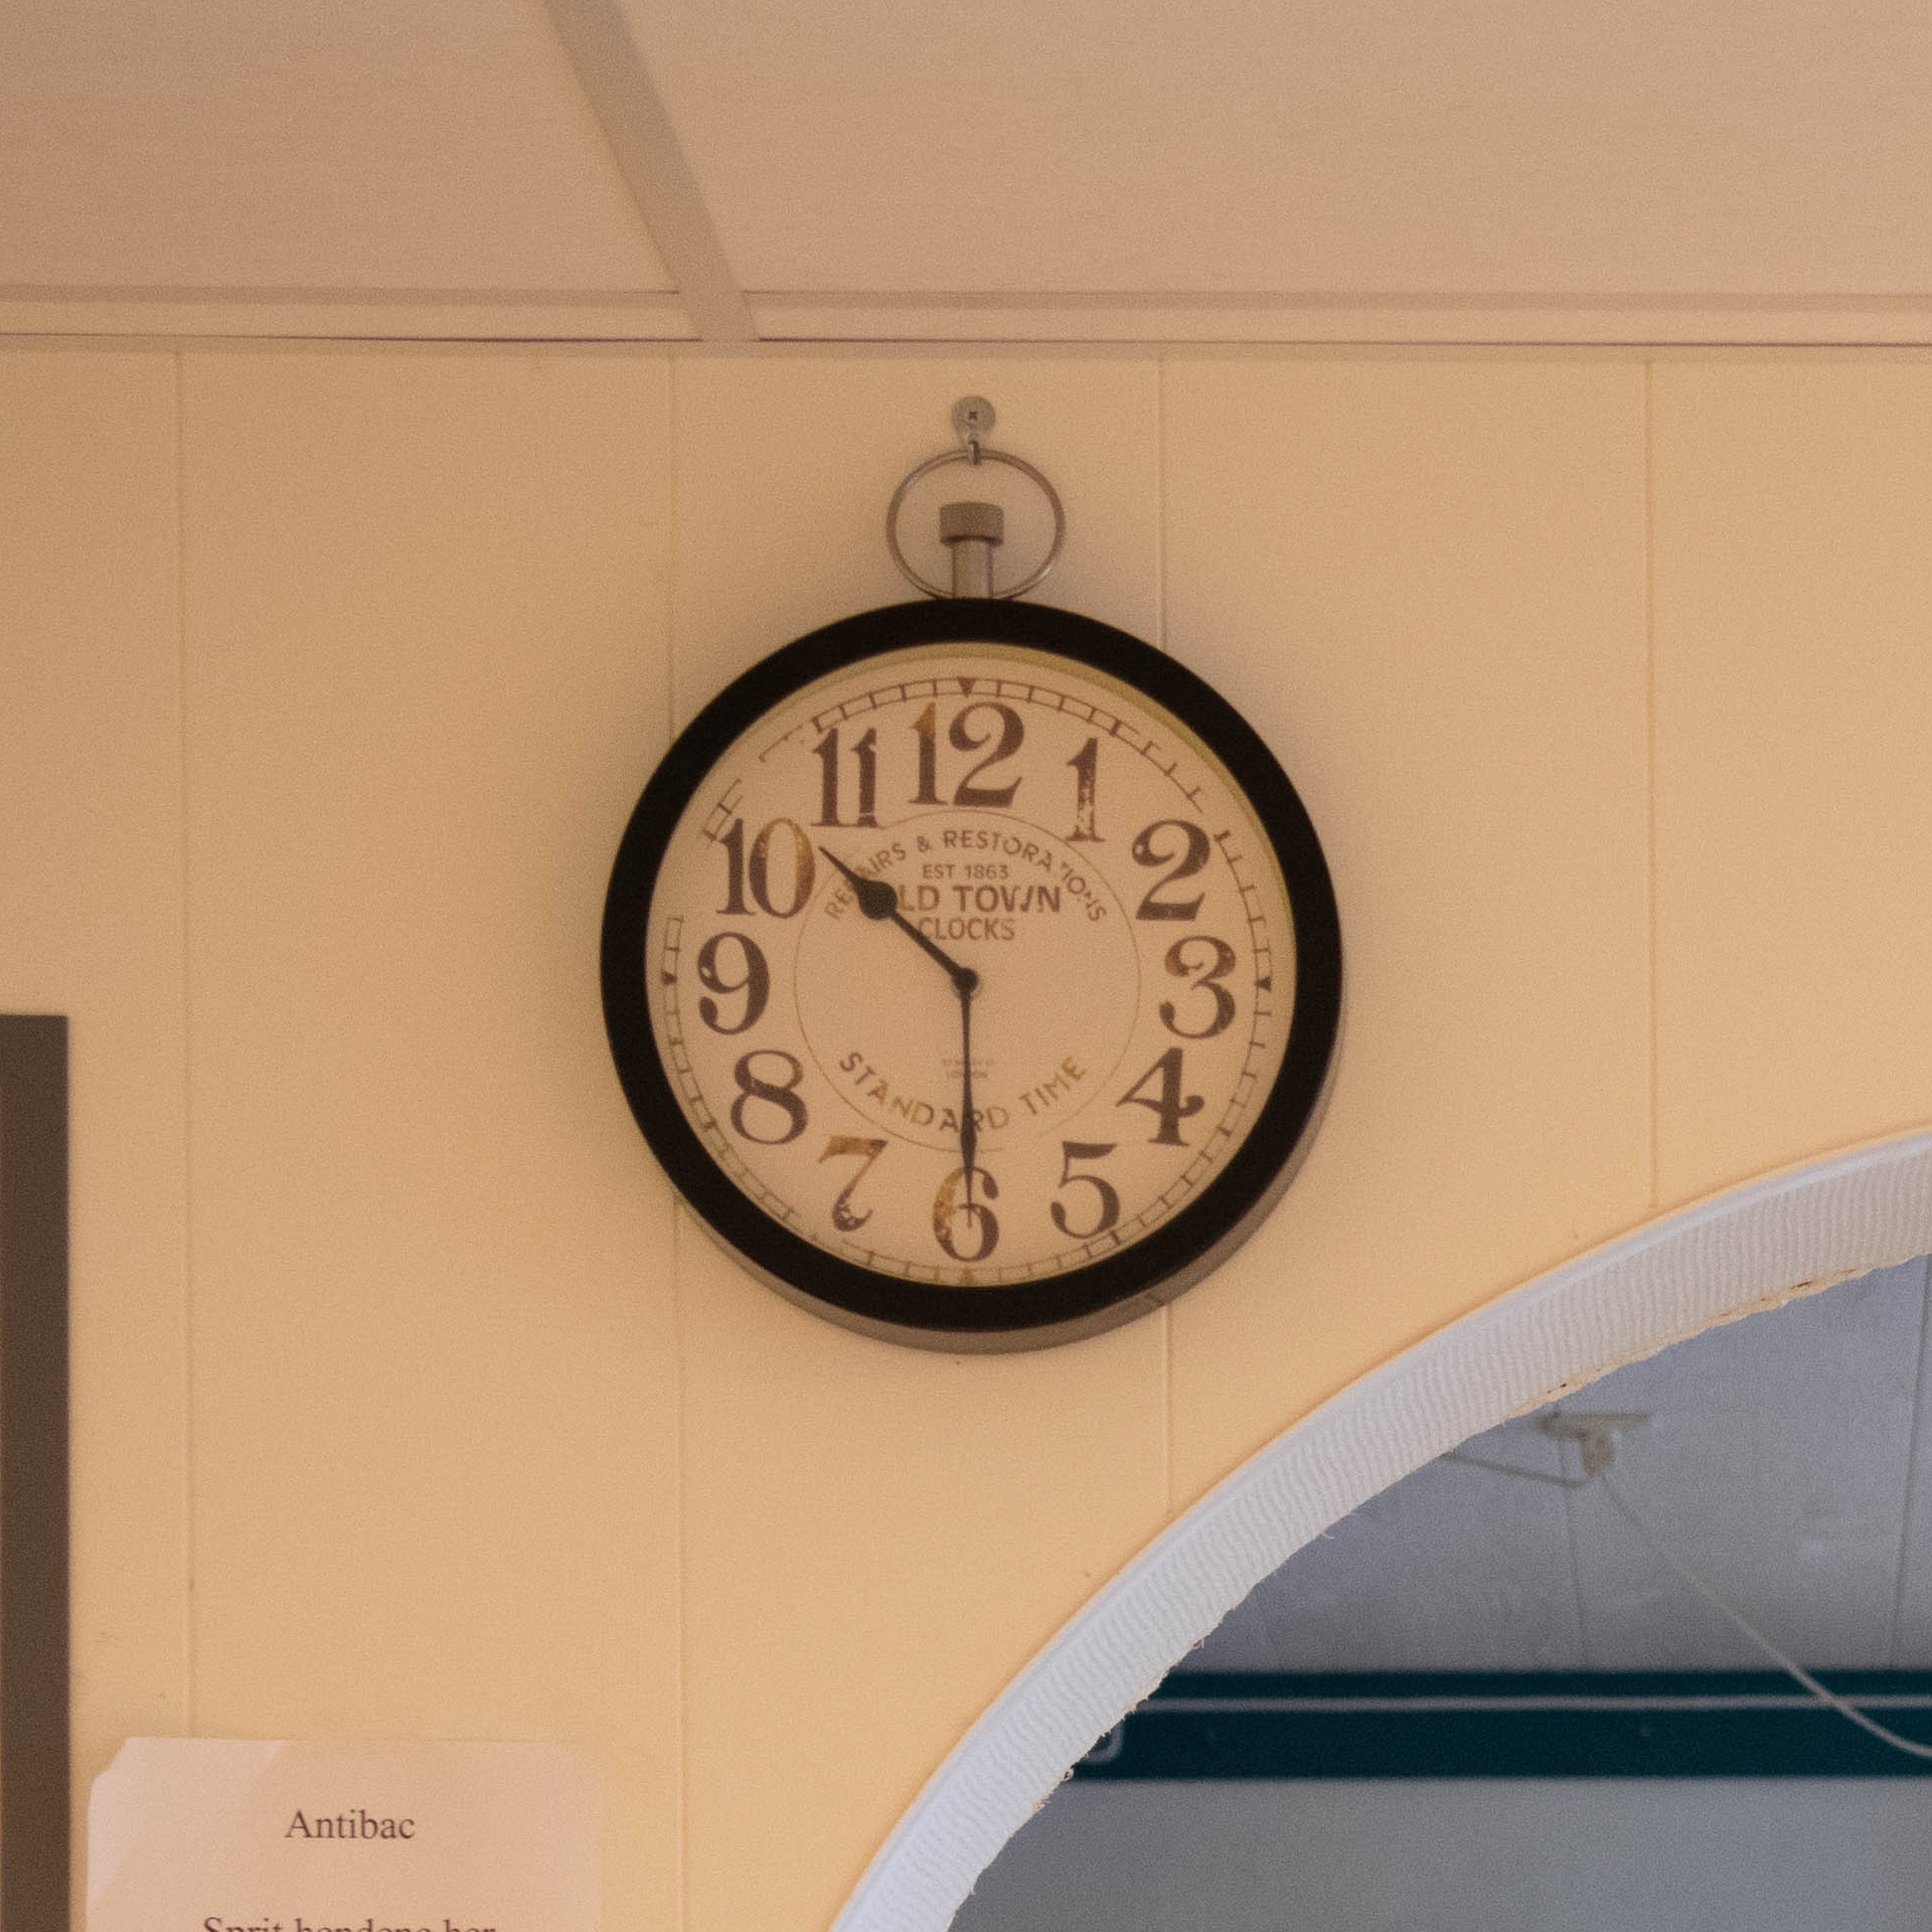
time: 10:29
